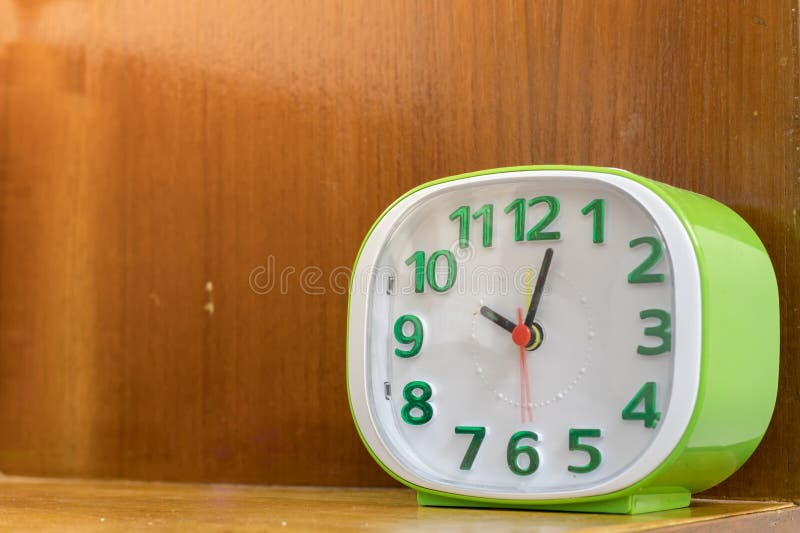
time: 10:02
